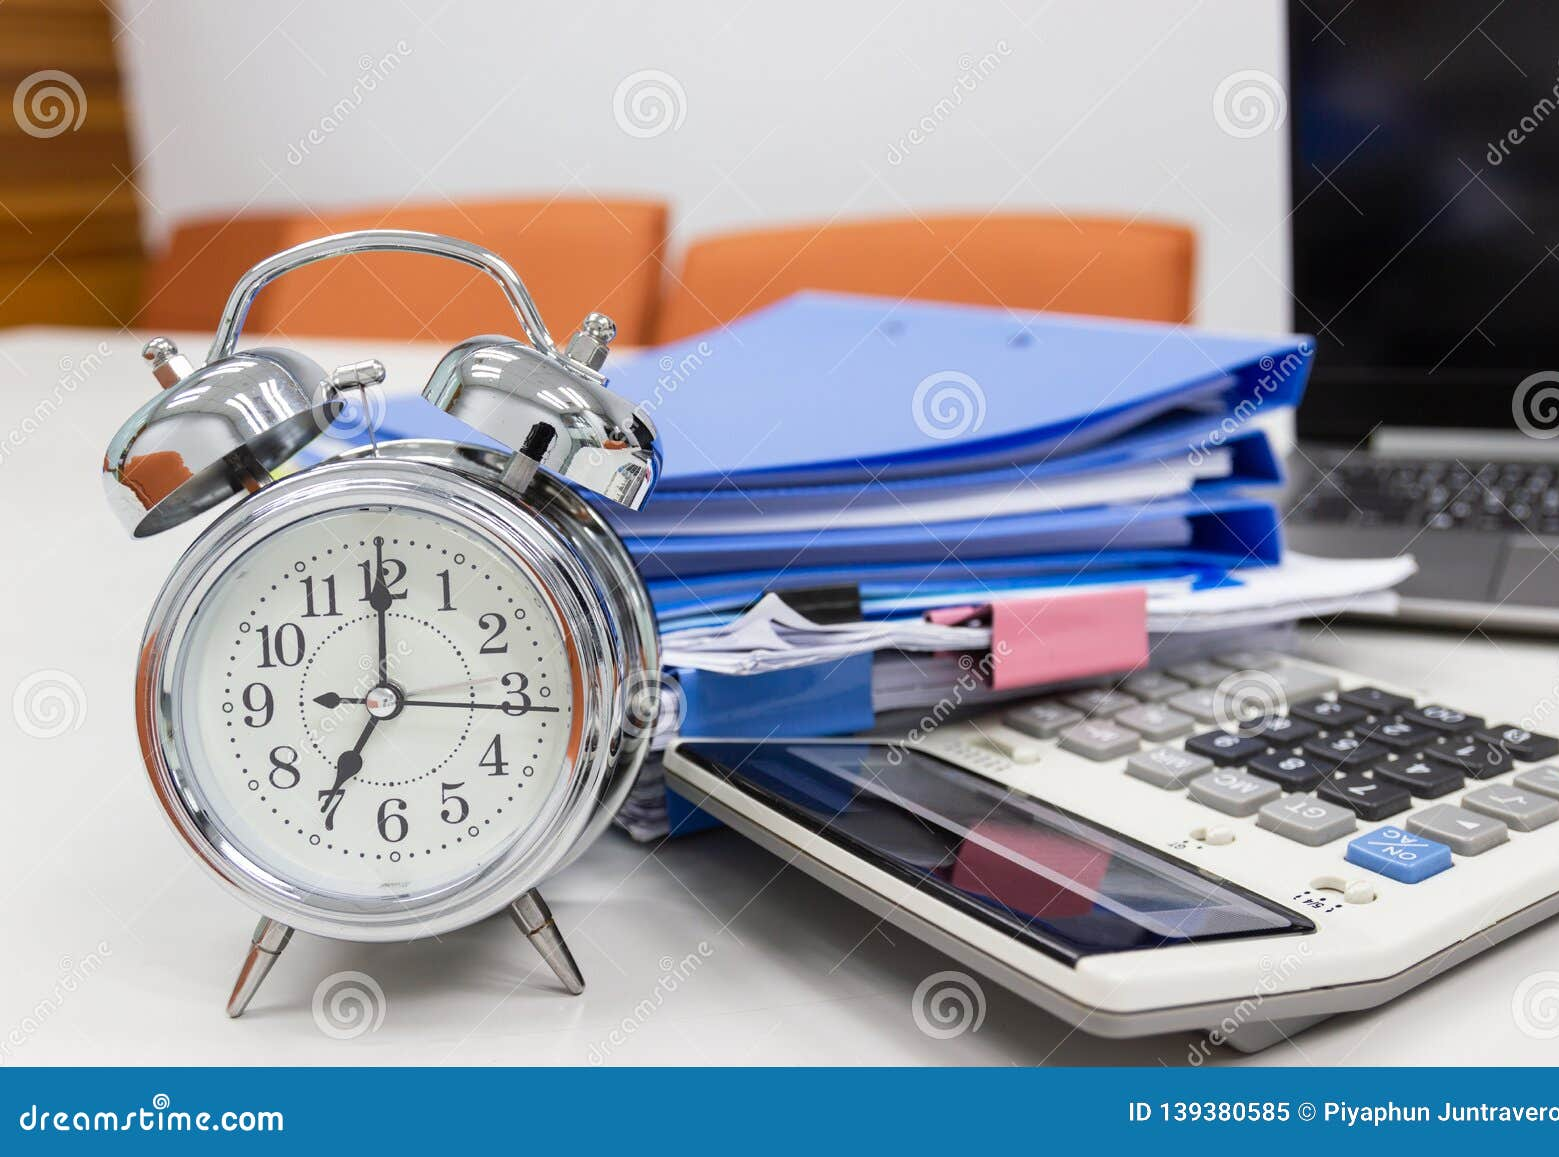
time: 7:00
